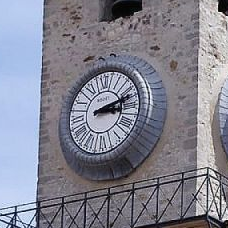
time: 3:12
